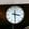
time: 3:29
